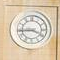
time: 3:44
